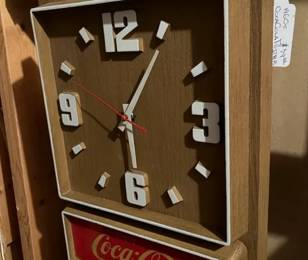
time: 6:05
